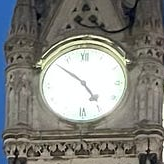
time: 4:51
